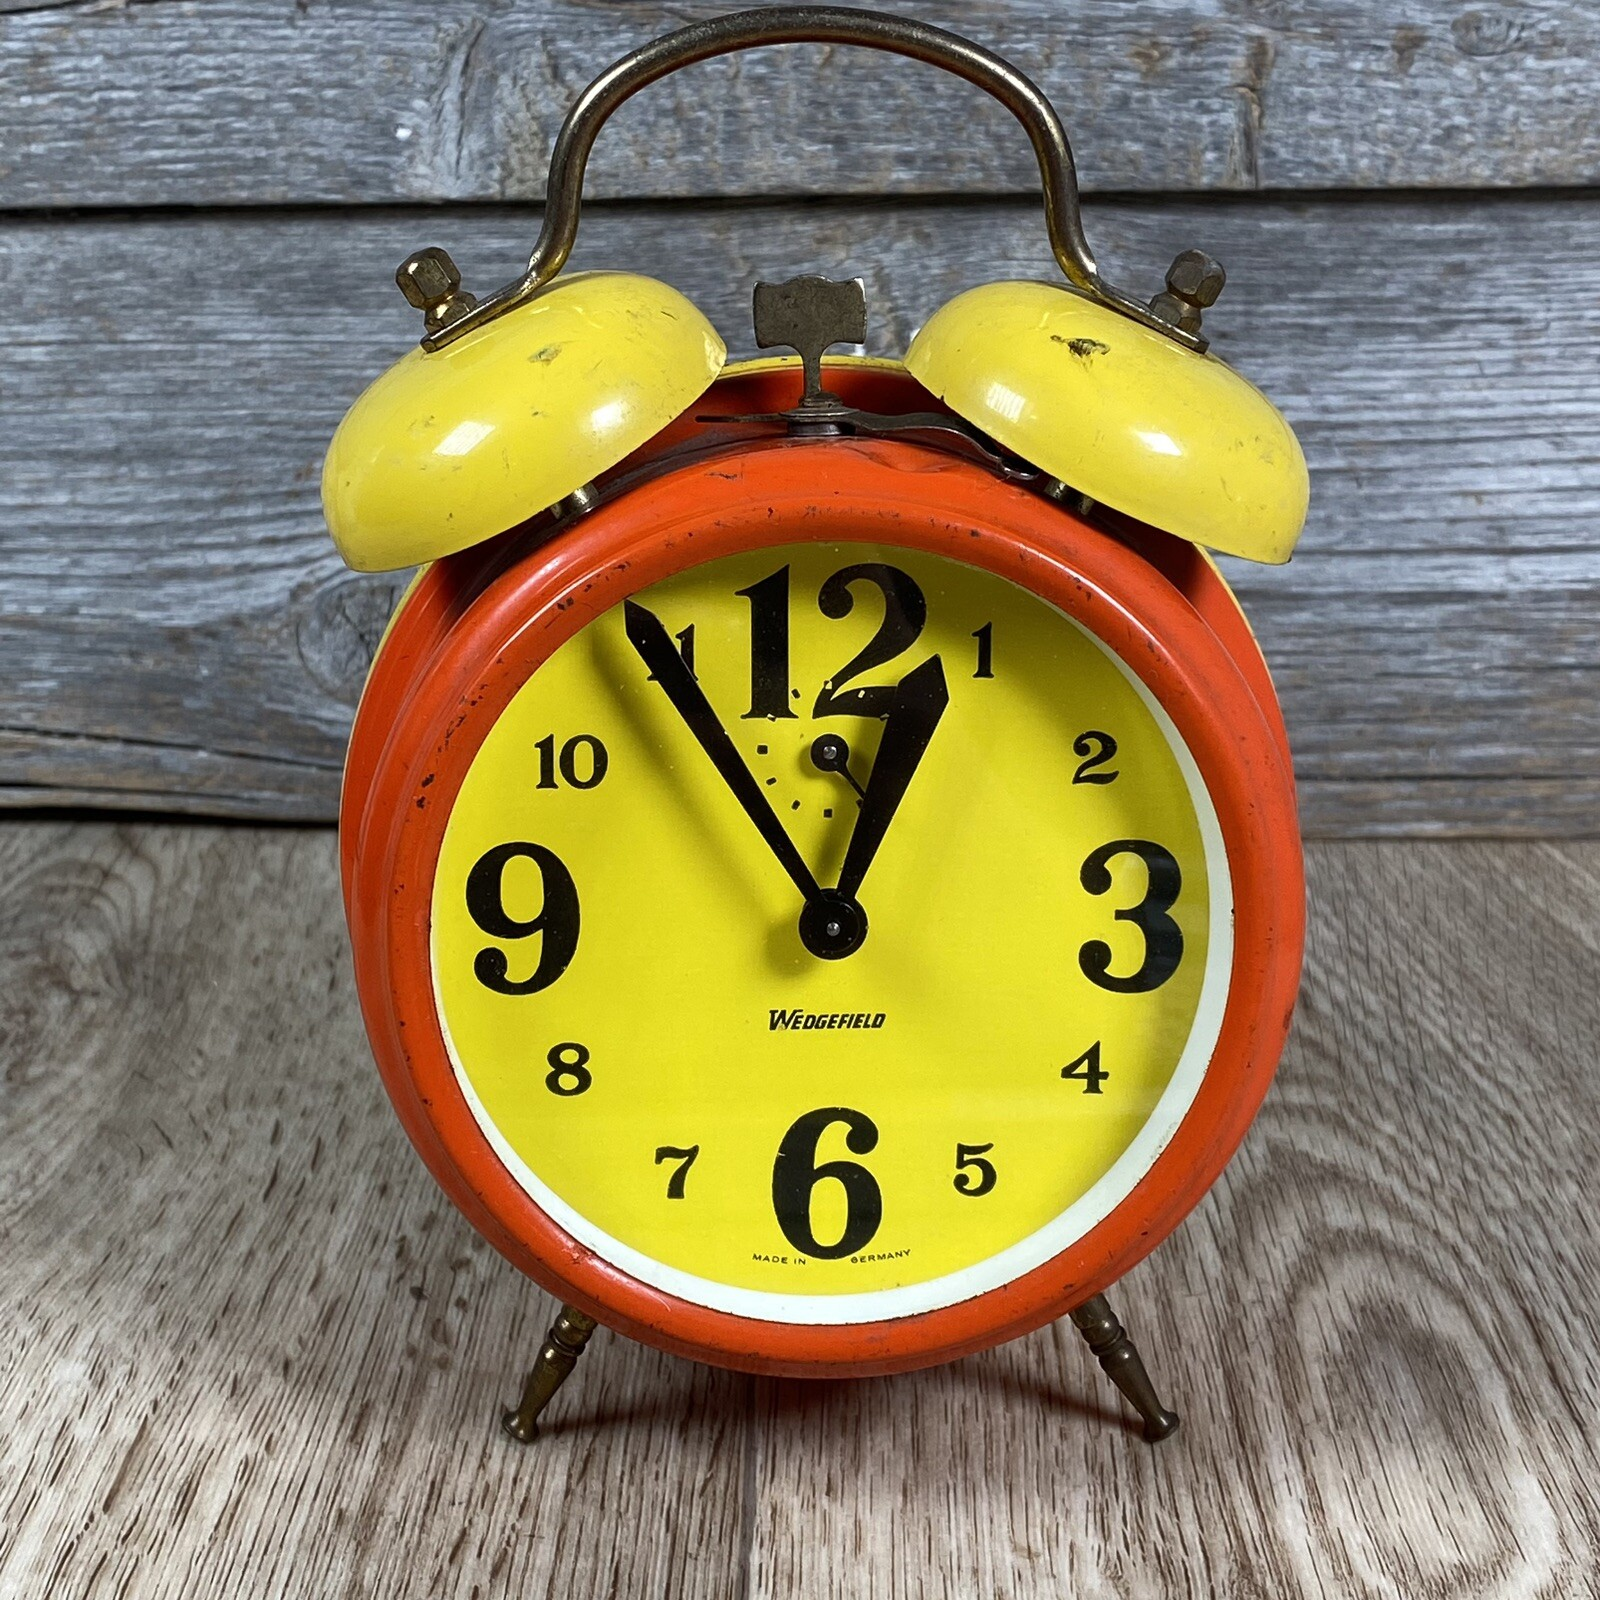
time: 12:54
